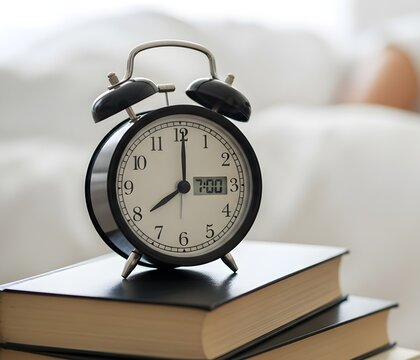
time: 8:00
